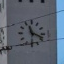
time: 11:18
